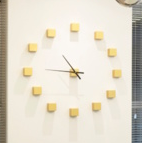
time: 10:46
